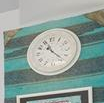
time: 11:22
